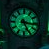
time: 5:16
